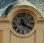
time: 11:20
